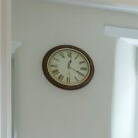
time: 12:19
